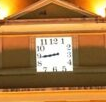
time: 8:44
